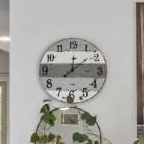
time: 12:08
